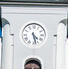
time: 4:27
